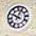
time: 10:03
